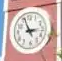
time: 2:56
